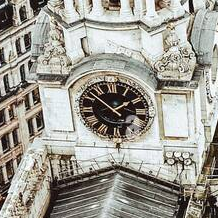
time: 1:51
